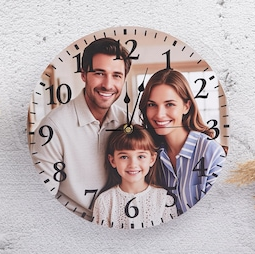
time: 12:24
